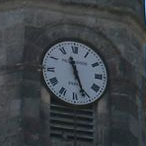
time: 11:26
